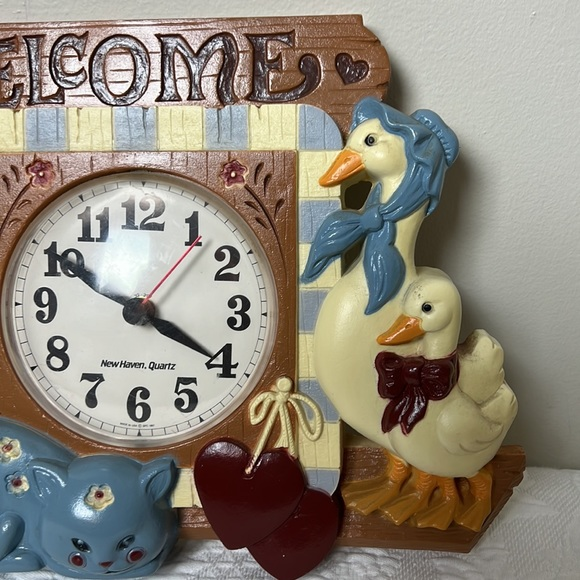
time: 3:50
